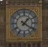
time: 1:20
